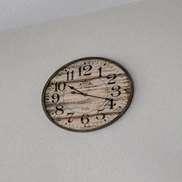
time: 10:18
